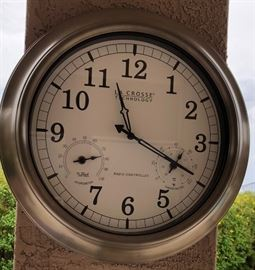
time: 11:19
